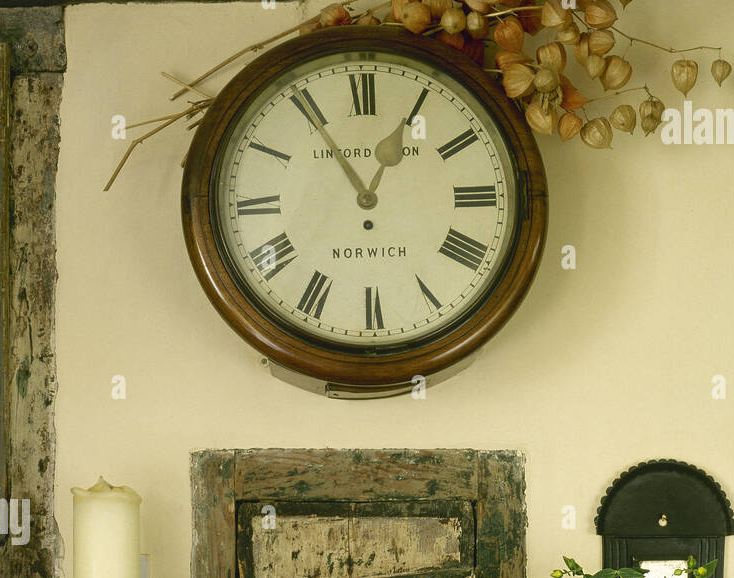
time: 12:54
